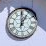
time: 1:00
